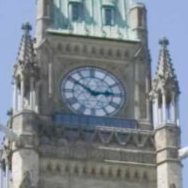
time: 2:50
